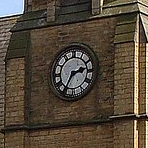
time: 2:34
